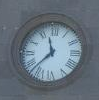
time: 11:37
